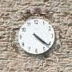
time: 4:21
